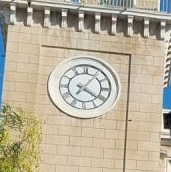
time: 4:06
